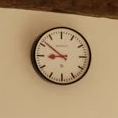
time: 8:51
